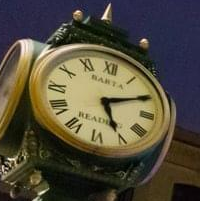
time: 5:10
